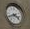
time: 3:40
